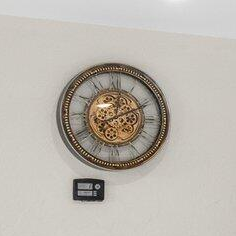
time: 12:10
